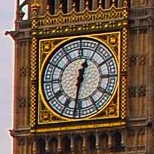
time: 12:31
